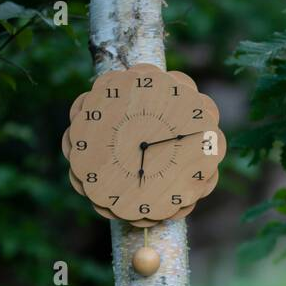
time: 6:13
